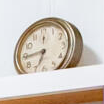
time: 6:44
